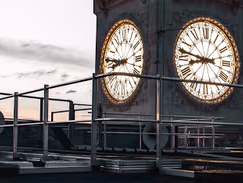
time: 8:46
